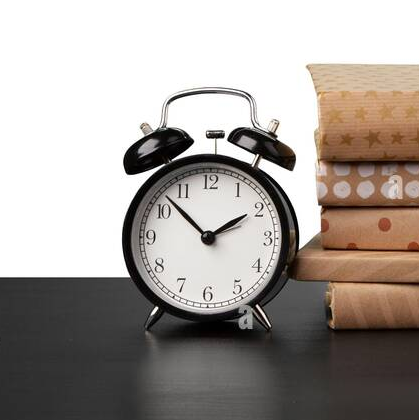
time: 1:52
